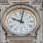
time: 10:02
